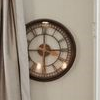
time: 6:15
